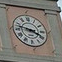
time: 3:47
